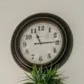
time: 11:14
